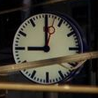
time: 9:00
